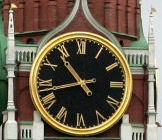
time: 10:42
